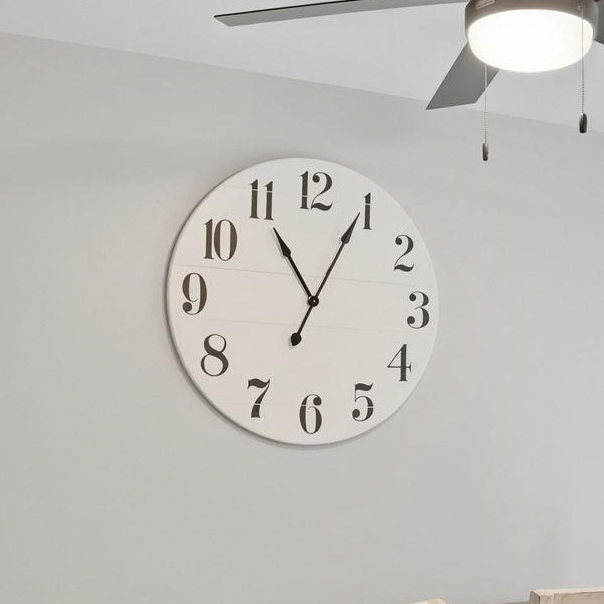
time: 11:04
